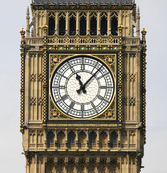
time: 11:07
